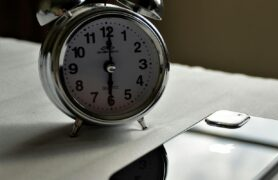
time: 6:00
